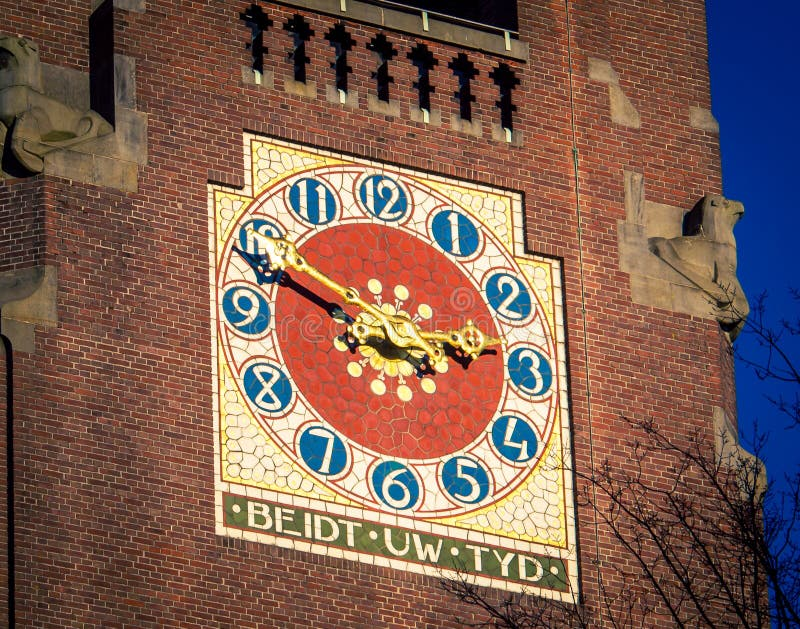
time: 2:48
